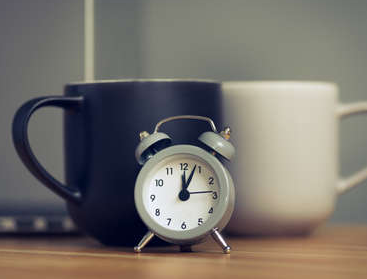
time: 12:03
